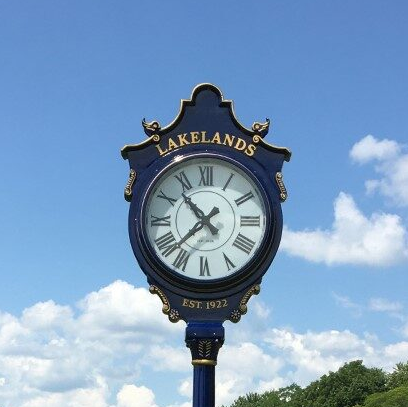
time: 10:37
